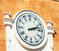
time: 2:12
